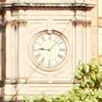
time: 9:07
